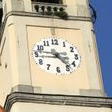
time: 4:46
